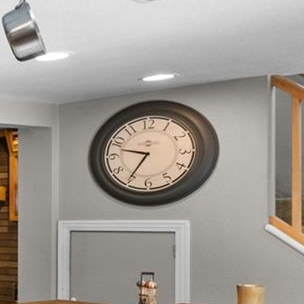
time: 9:35
